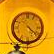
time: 4:21
